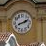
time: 1:41
